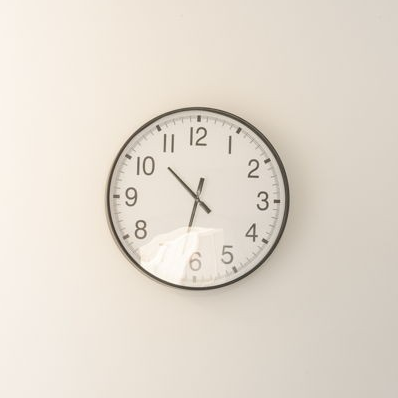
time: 10:32
